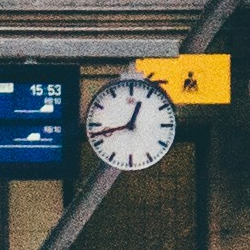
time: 12:42
